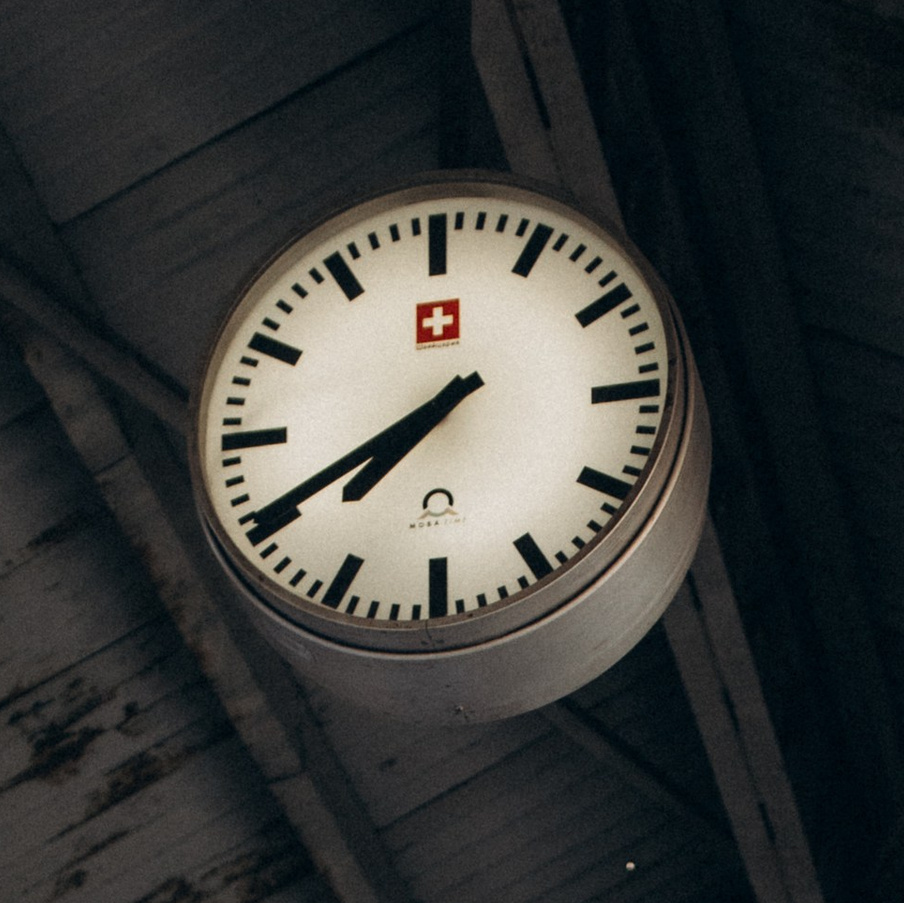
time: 7:40
